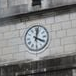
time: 4:02
